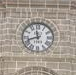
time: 11:41
